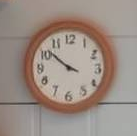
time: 3:51
